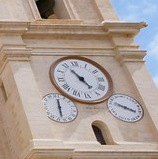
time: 4:55
